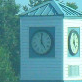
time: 4:59
